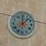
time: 12:07
